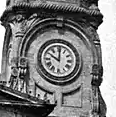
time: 10:00
